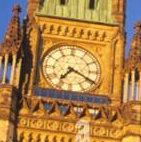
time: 7:19
